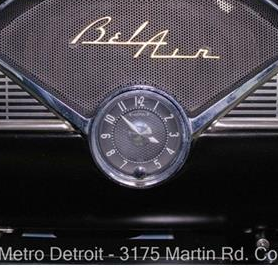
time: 3:52
